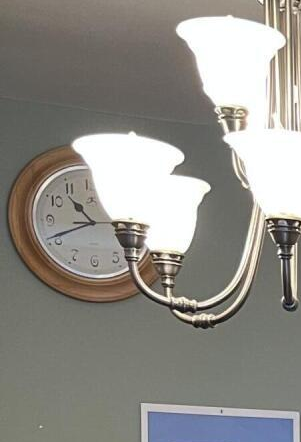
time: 10:41
